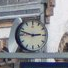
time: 2:47
